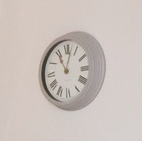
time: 11:02
